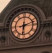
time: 6:12
